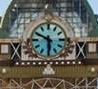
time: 5:49
